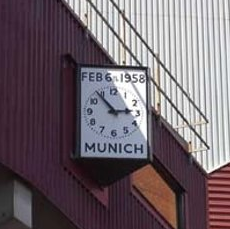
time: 2:52
